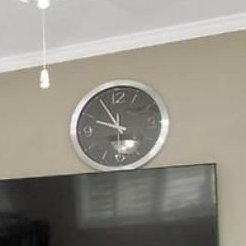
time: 9:55
